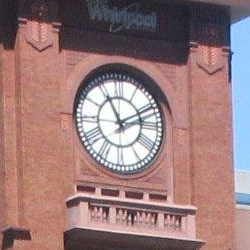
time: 11:10
